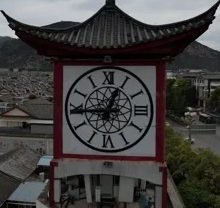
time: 12:44
